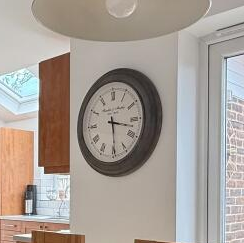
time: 3:29
